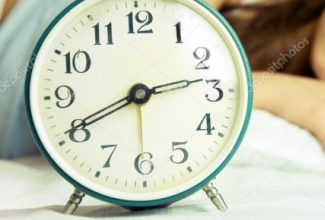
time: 2:40
